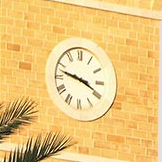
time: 3:47
